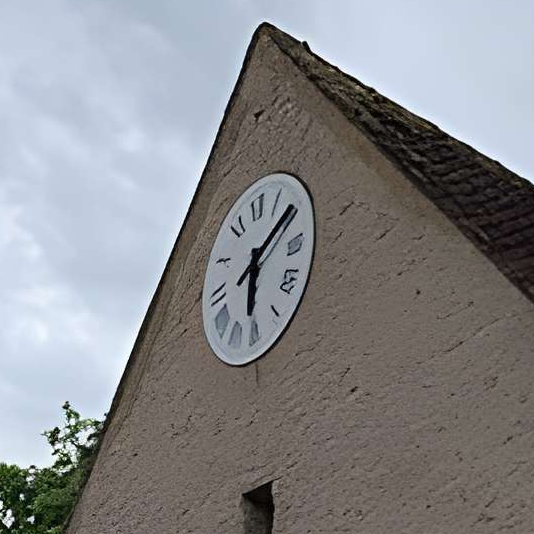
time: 6:08
